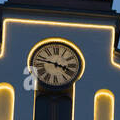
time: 3:47
